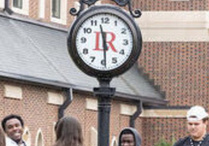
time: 11:29
